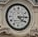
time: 4:14
